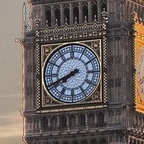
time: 7:41
